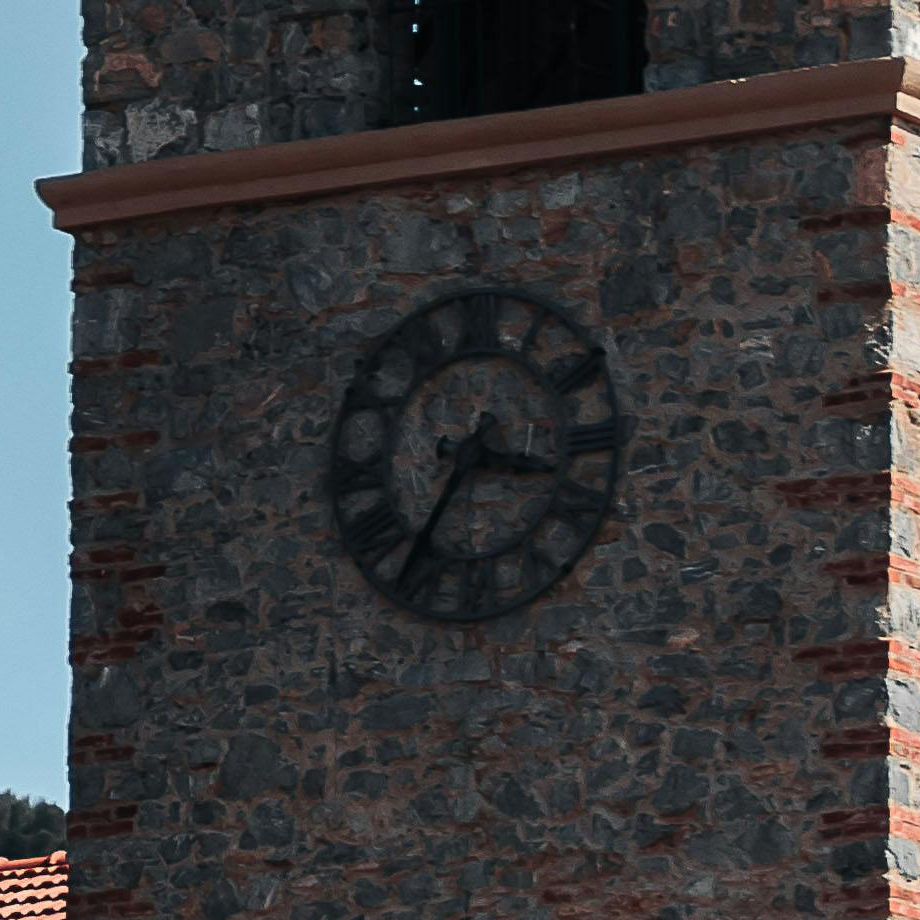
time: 3:35
